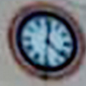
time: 12:21
